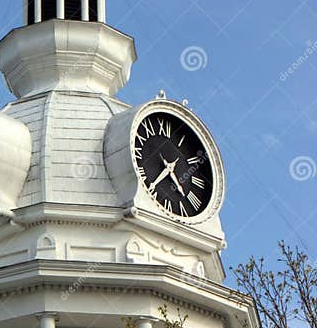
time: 4:36
